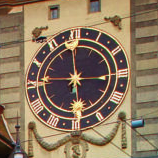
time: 5:45
